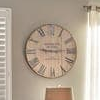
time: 9:14
